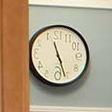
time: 11:26
